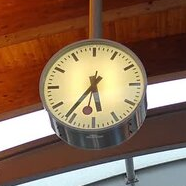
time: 5:36
